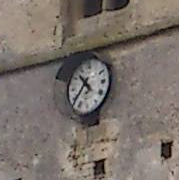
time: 10:38
